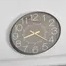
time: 8:21
